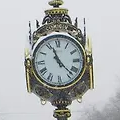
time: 11:22
